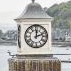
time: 12:11
